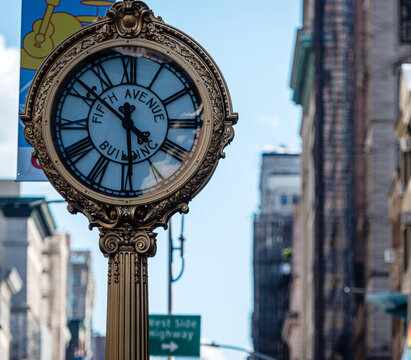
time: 5:51
